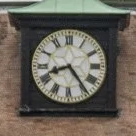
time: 8:23
